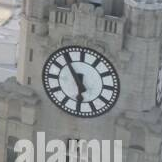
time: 5:54
